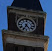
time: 4:34
